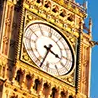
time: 3:33
